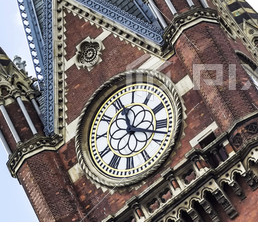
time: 11:17
